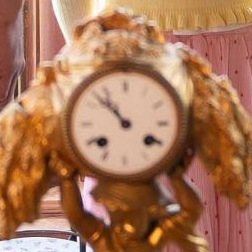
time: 10:52
